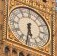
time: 5:31
